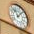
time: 11:07
